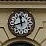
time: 11:42
